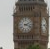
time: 2:18
